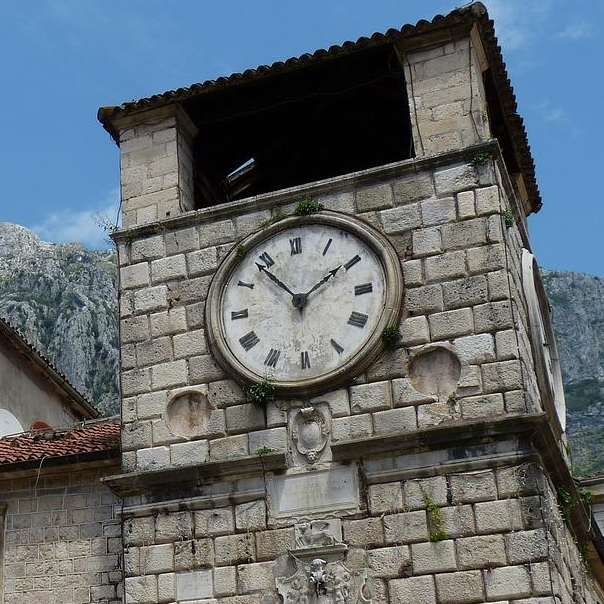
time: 1:53
